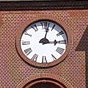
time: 3:02
